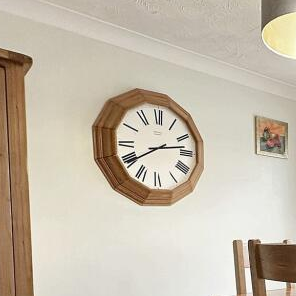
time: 2:39
